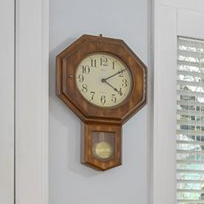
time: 4:10
